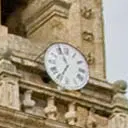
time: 6:56
